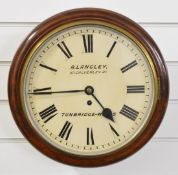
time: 4:44
